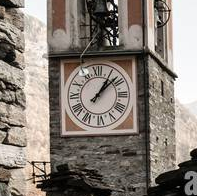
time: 1:08
